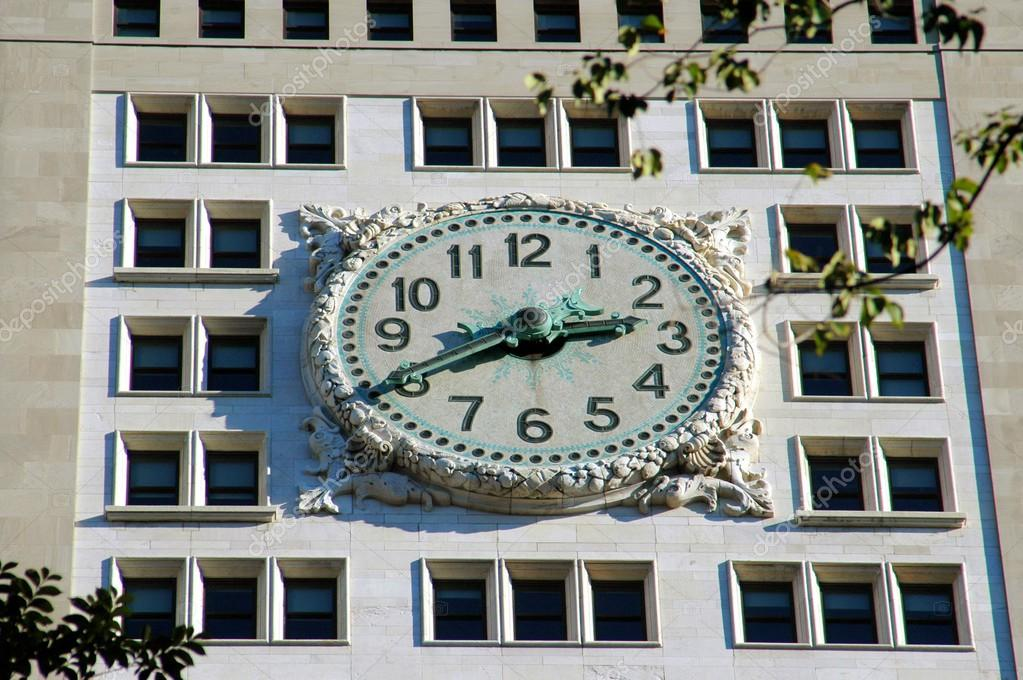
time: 2:40
